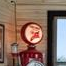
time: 9:36
